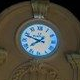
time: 7:48
